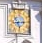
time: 5:15
